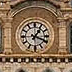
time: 1:18
